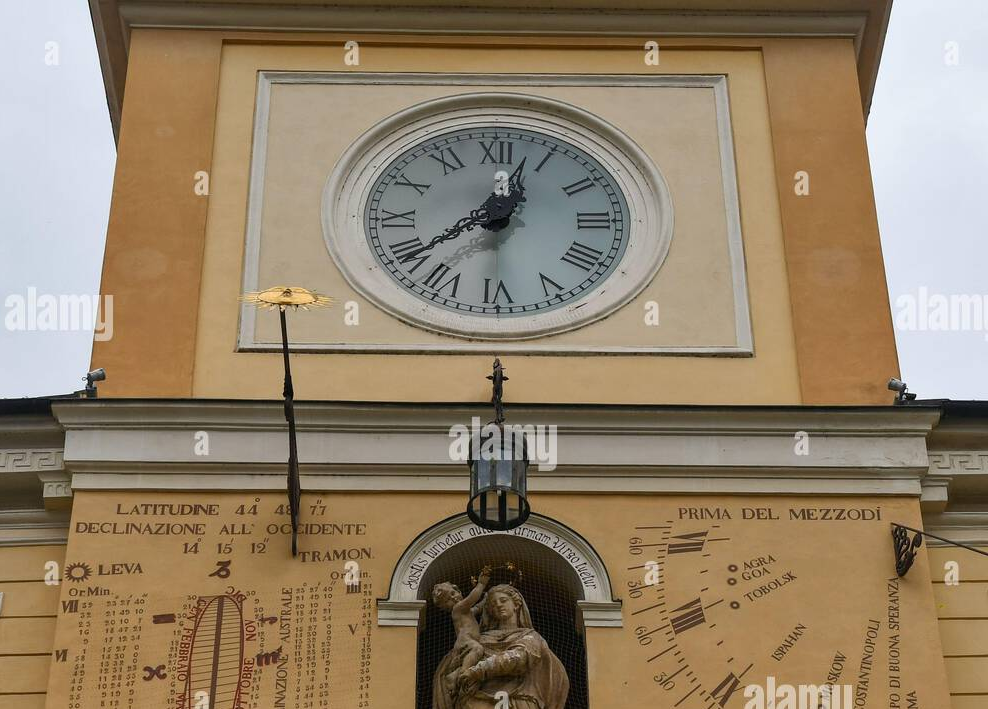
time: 12:38
